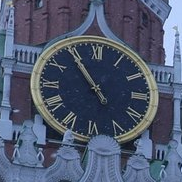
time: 10:54
